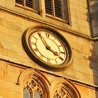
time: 3:54
